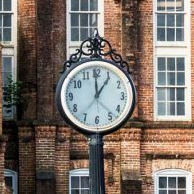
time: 12:59
